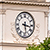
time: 3:28
